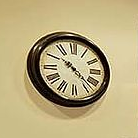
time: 10:22
